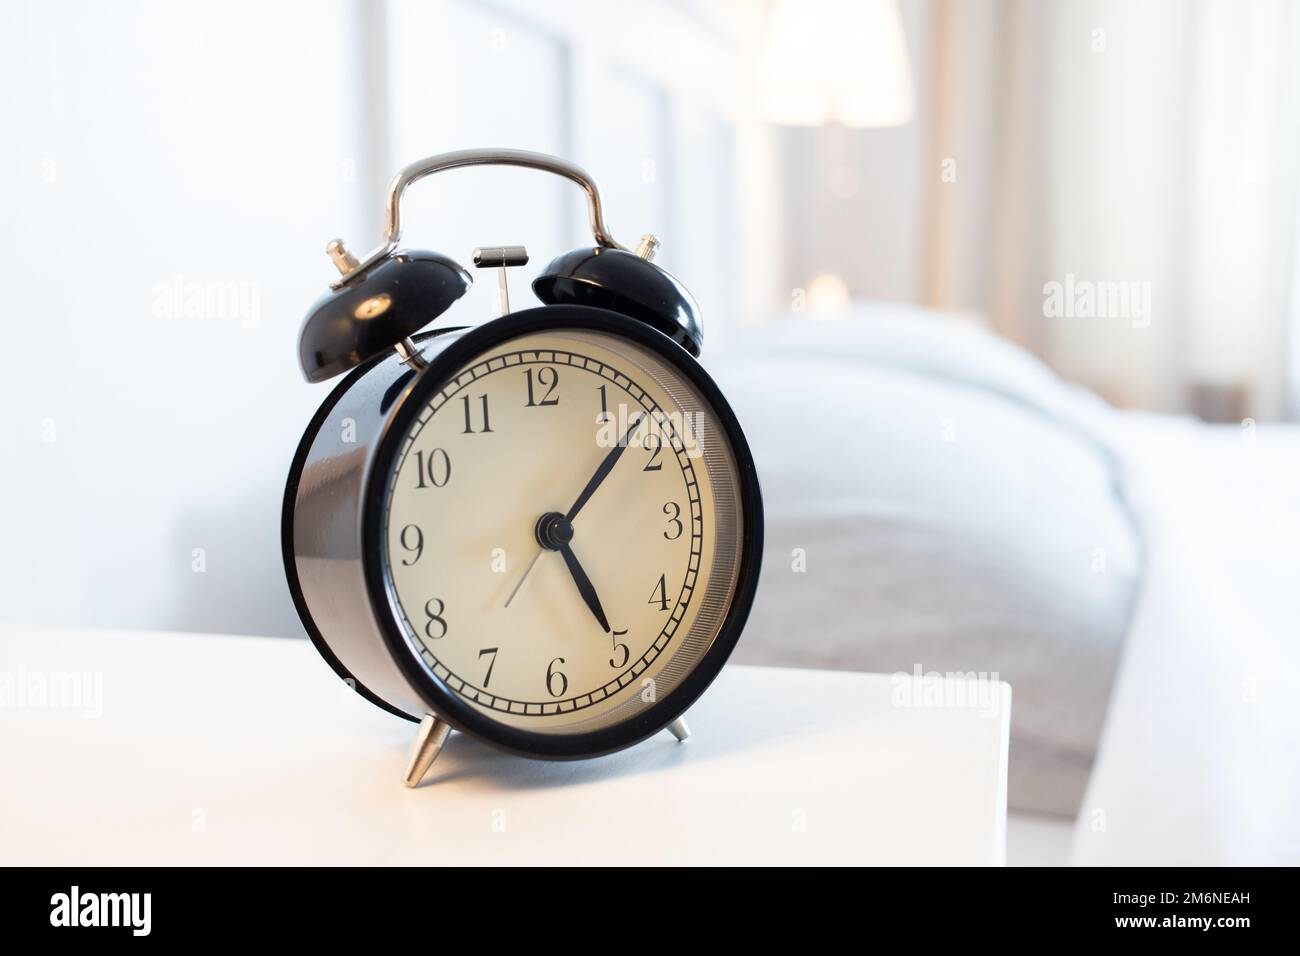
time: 5:07
